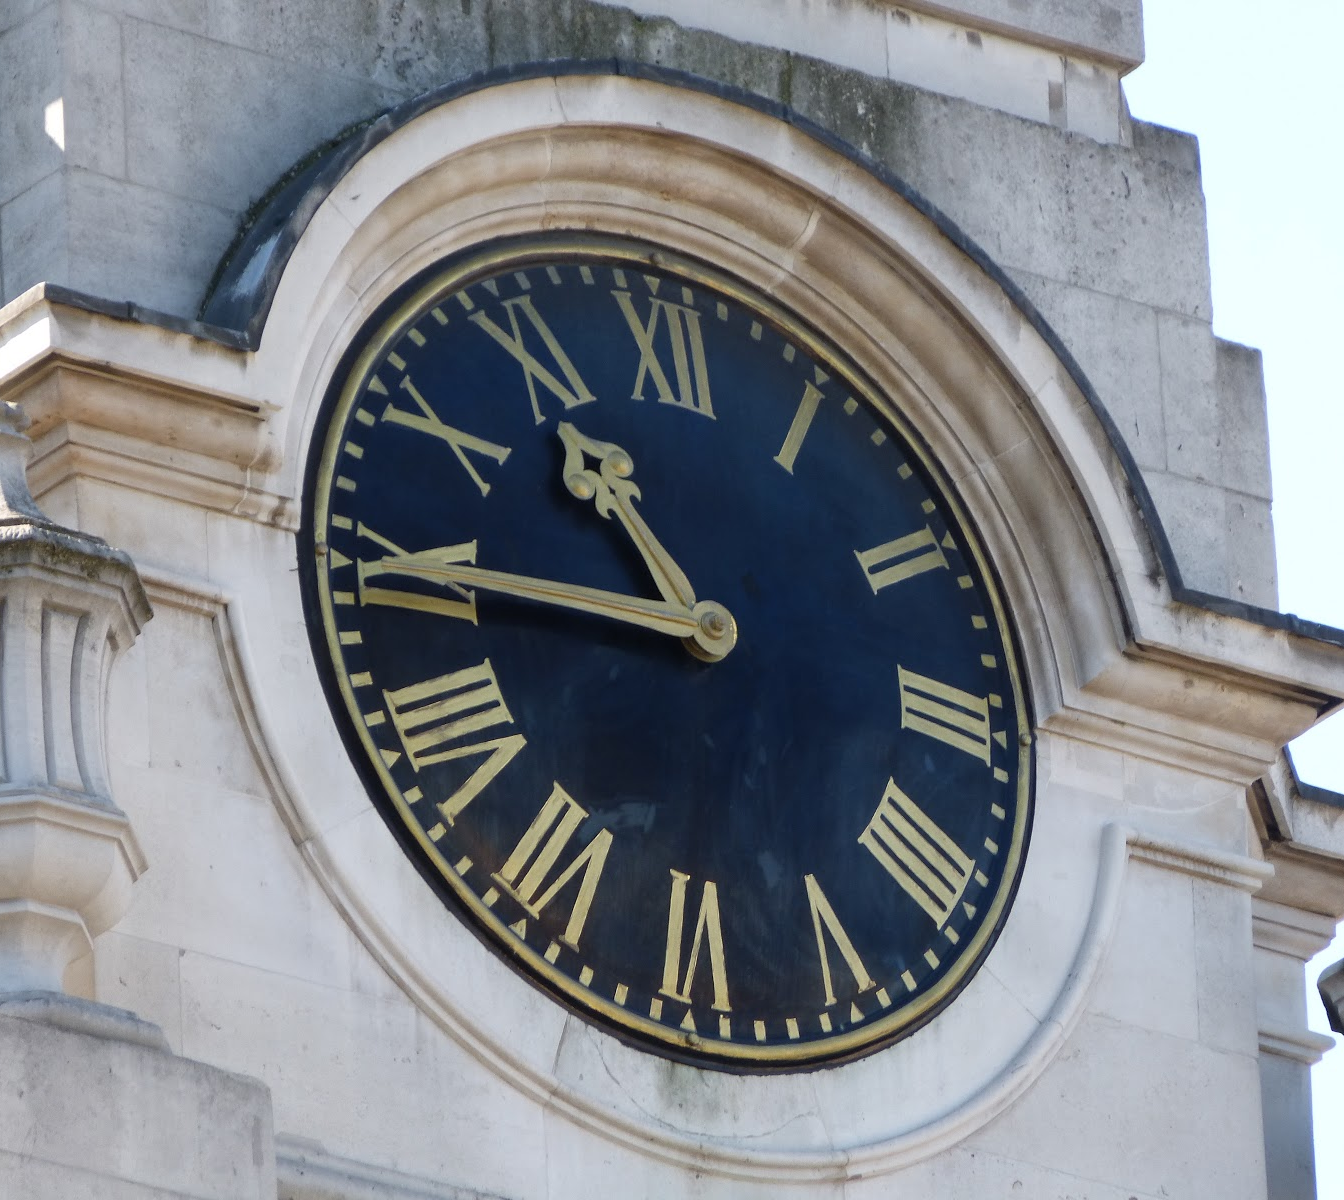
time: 10:44
